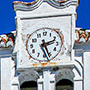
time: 2:26
